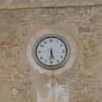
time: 5:30
